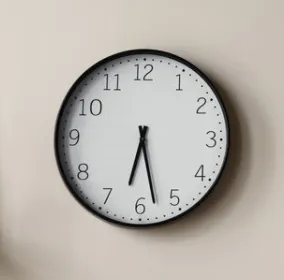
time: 6:27
